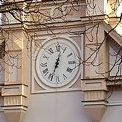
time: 12:33
